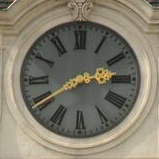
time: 2:40
